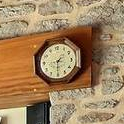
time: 1:30
